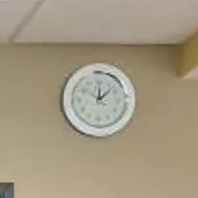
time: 12:07
